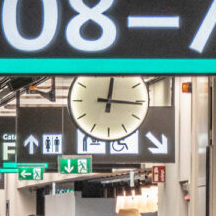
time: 12:16
